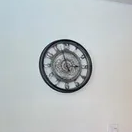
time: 2:57
